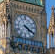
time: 4:20
